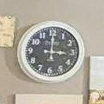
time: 3:00
